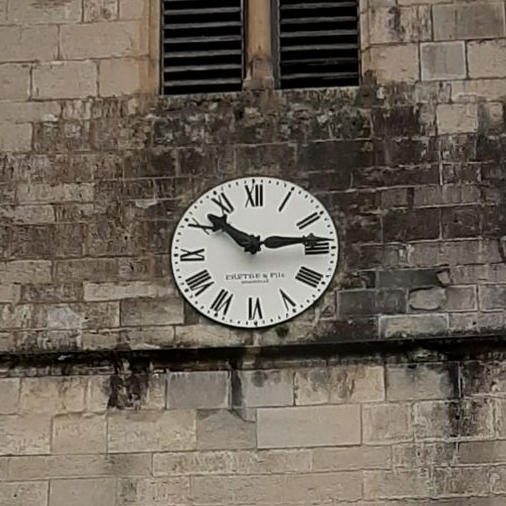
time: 10:13
